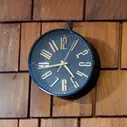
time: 4:43
